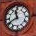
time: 11:40
